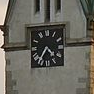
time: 4:35
